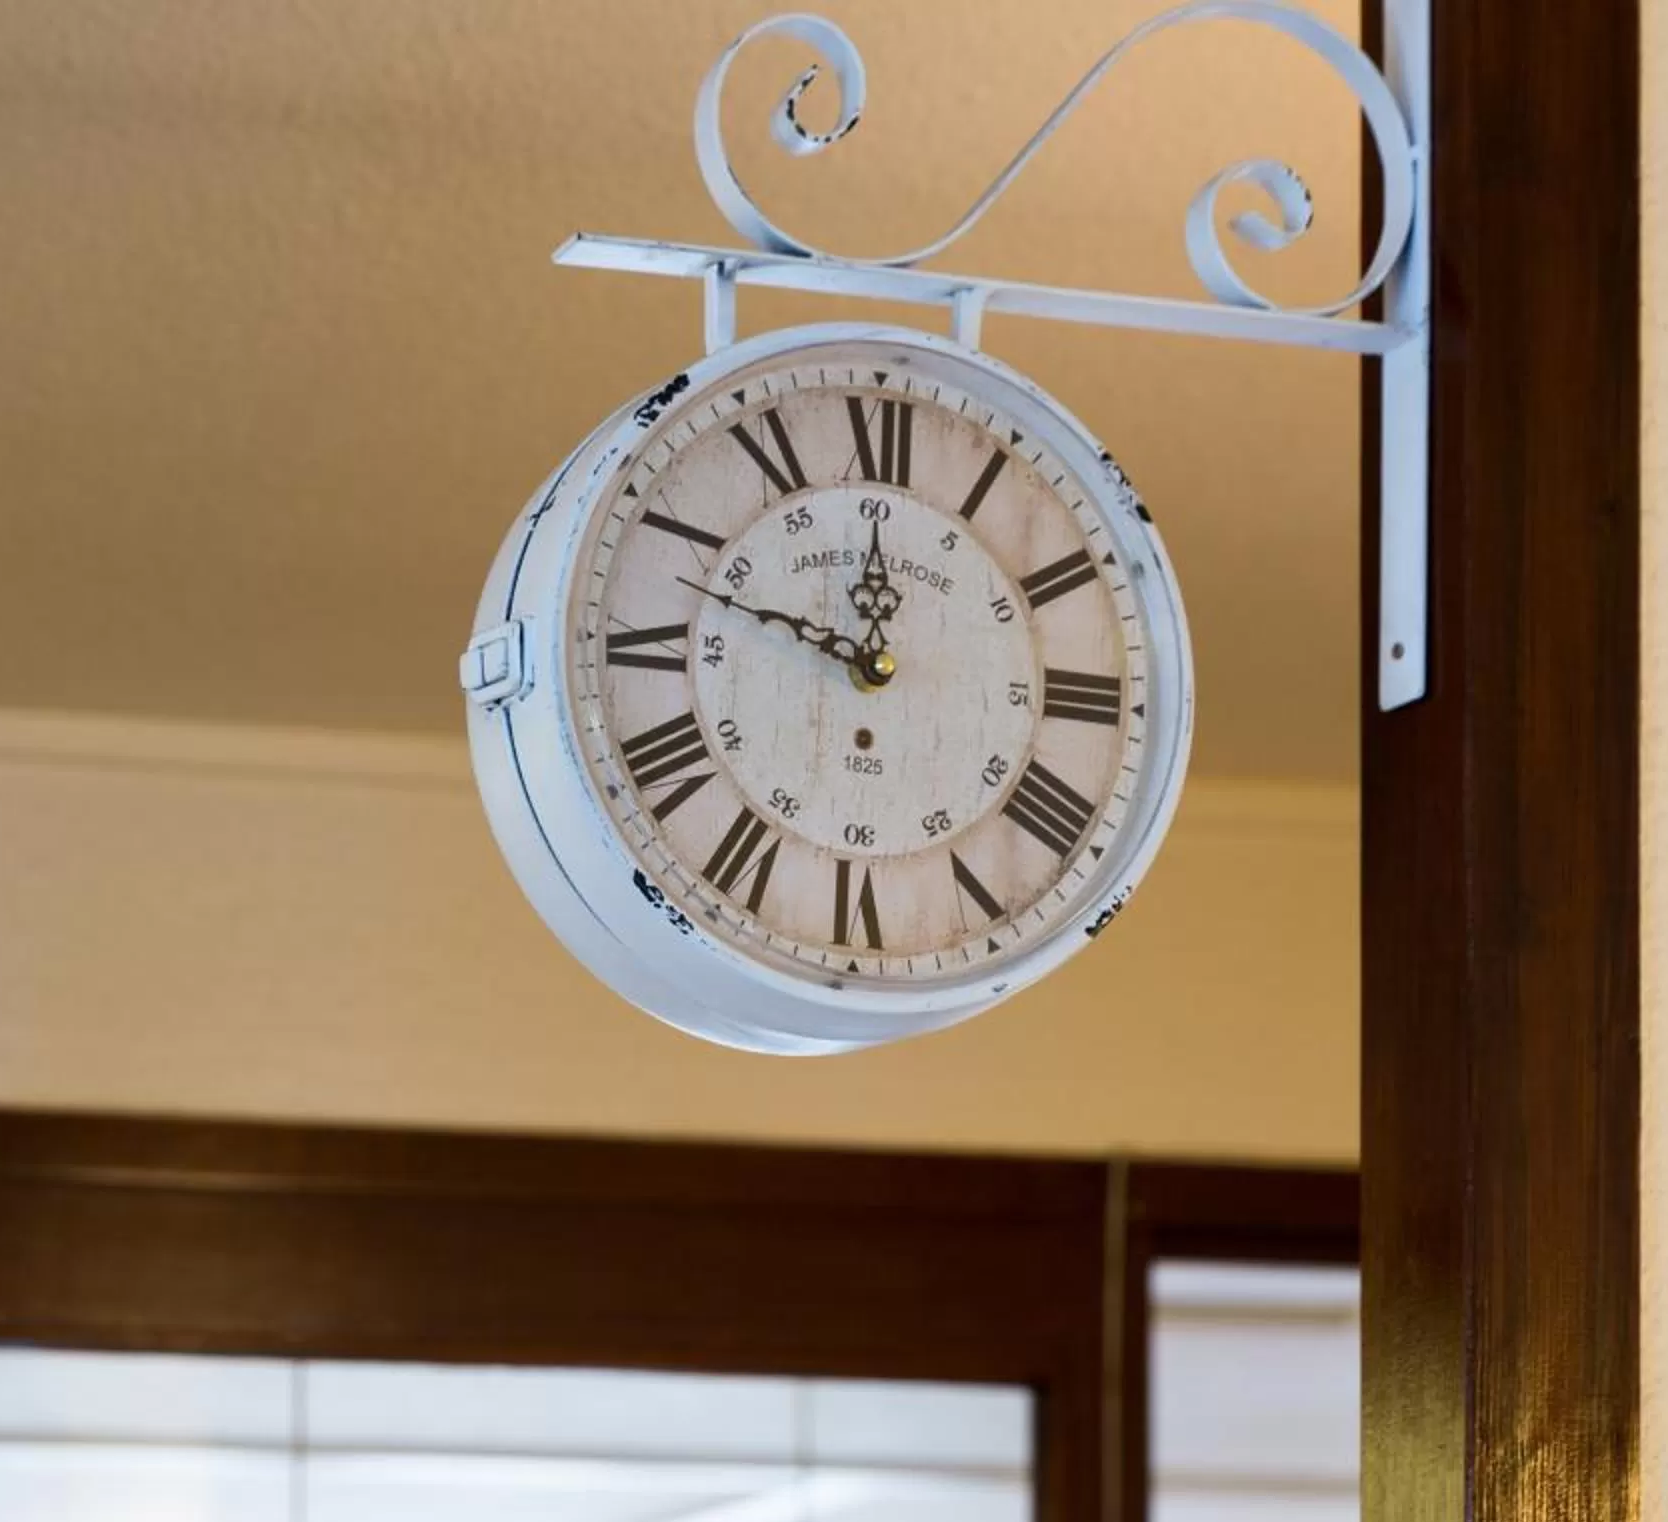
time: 11:48
